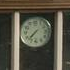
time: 7:37
